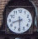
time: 8:29
